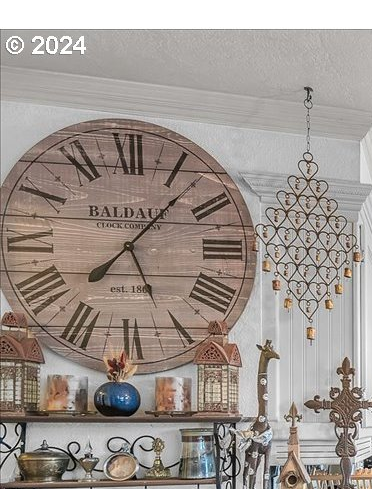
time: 5:06
